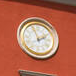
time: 1:56
